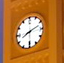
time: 8:11
